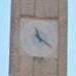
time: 11:21
